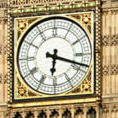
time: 6:18
